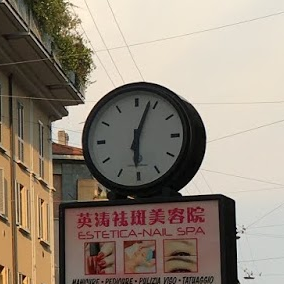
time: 6:03
